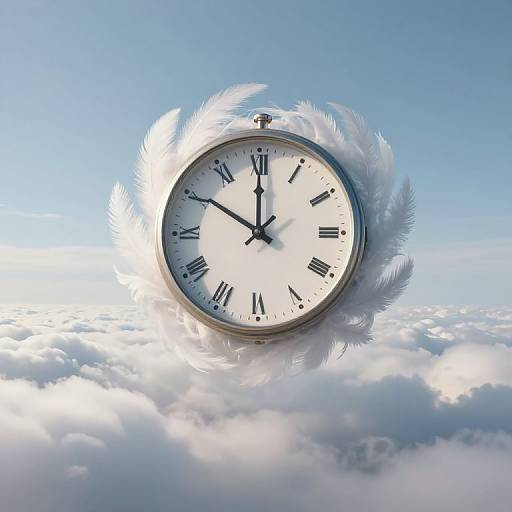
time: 11:50
